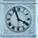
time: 3:56
